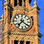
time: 7:21
